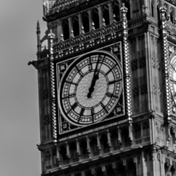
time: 1:03
